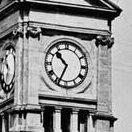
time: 10:34
